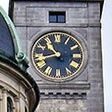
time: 10:42
